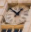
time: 12:52
